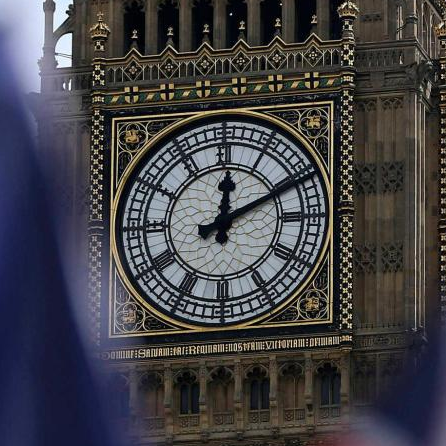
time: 12:10
